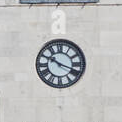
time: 10:18
